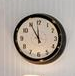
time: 11:55
